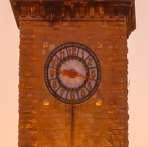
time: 9:18
